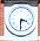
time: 3:30
